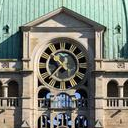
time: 10:37
